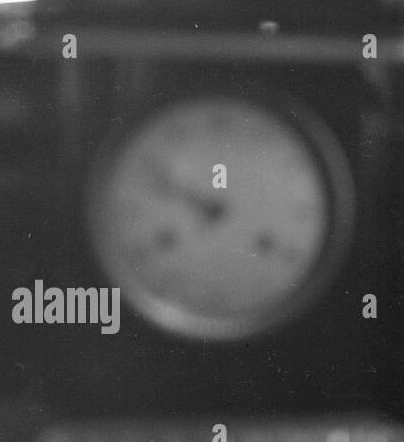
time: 7:49
